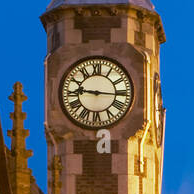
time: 9:16
